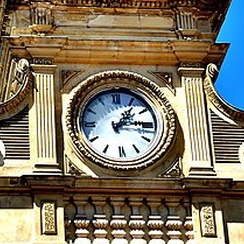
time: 1:15
